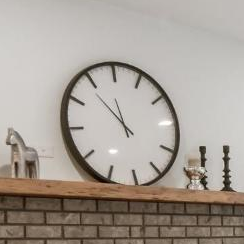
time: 11:53
